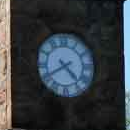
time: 4:40
